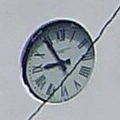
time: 8:54
